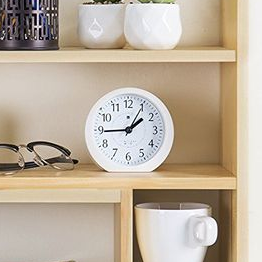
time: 1:44
